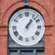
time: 1:07
